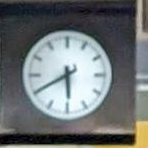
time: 5:40
